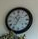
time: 10:35
